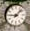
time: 9:07
